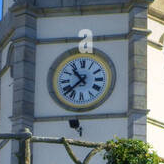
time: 10:37
